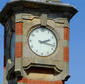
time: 2:17
